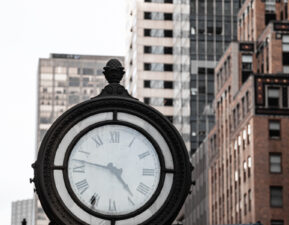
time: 4:47
